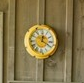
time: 12:19
